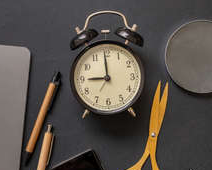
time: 8:59
